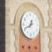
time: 12:40
